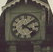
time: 4:08
